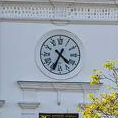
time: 4:34
